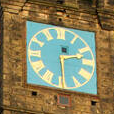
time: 2:29
